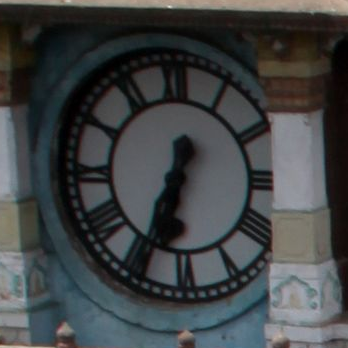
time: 6:34
